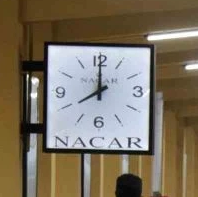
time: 8:00
